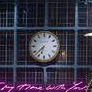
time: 6:37
